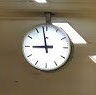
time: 8:58
